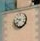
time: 9:38
